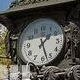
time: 1:27
